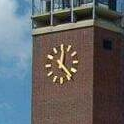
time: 12:23
